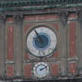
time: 8:54
